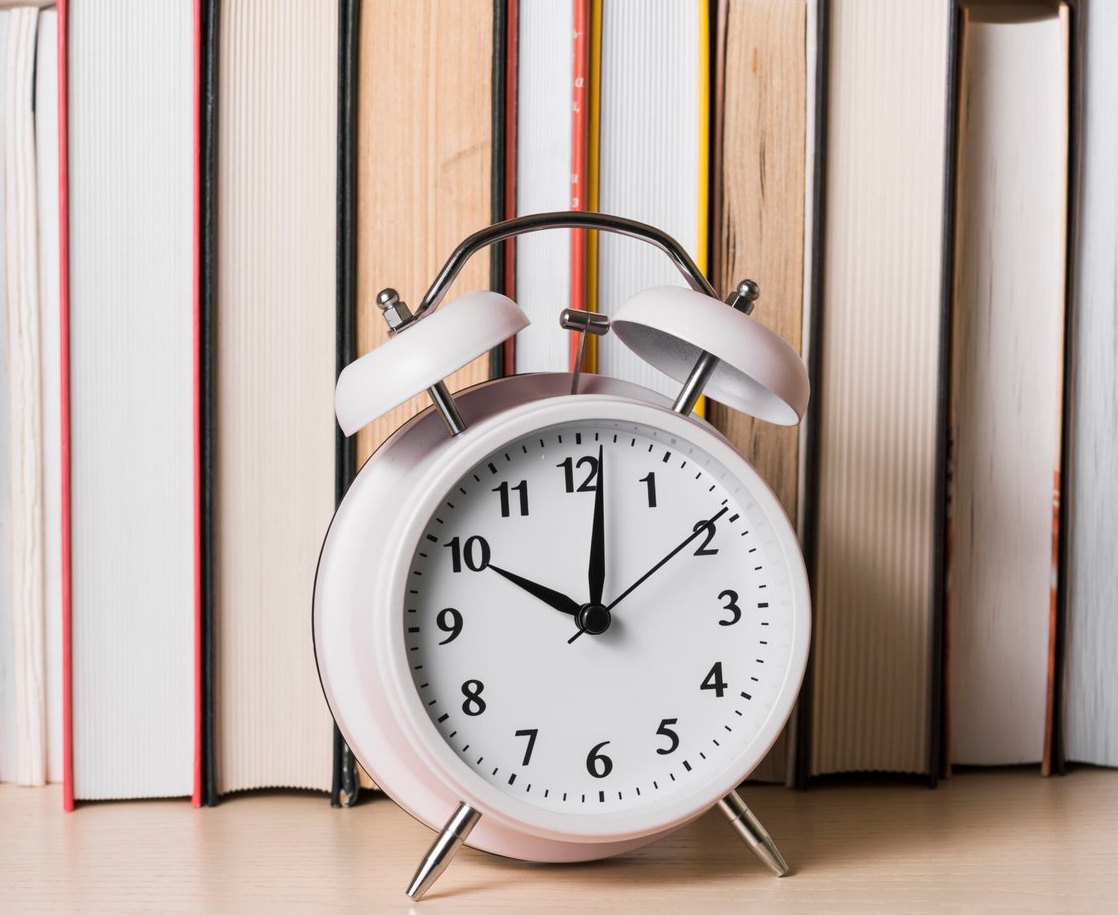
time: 10:01
